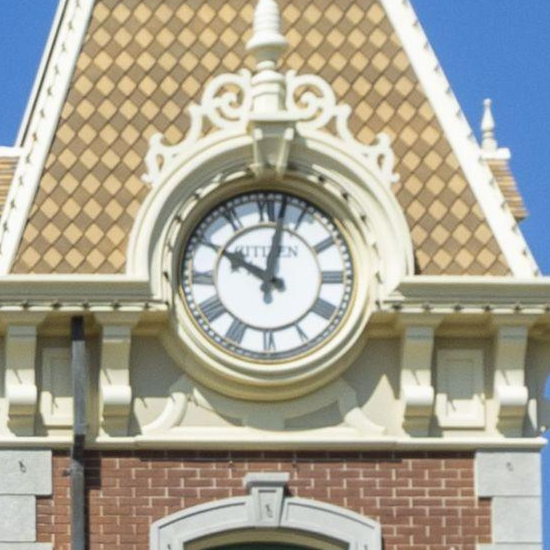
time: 10:02
